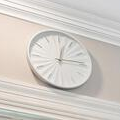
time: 12:14
